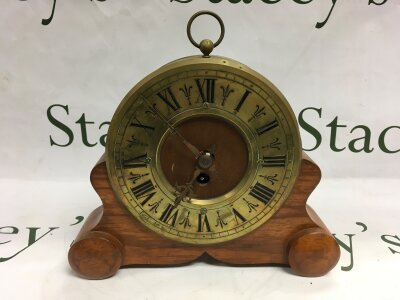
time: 10:34
